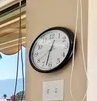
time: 12:32
